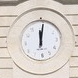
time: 12:01
